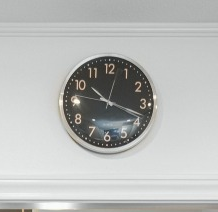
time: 10:18
